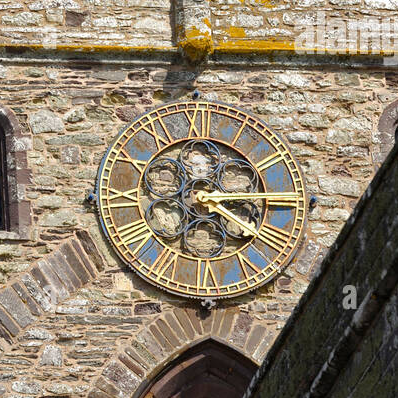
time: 4:14
